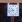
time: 10:42
